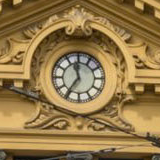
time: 11:35
